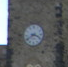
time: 3:40
